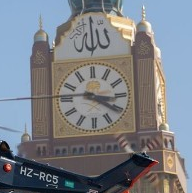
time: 3:20
